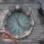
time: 11:22
